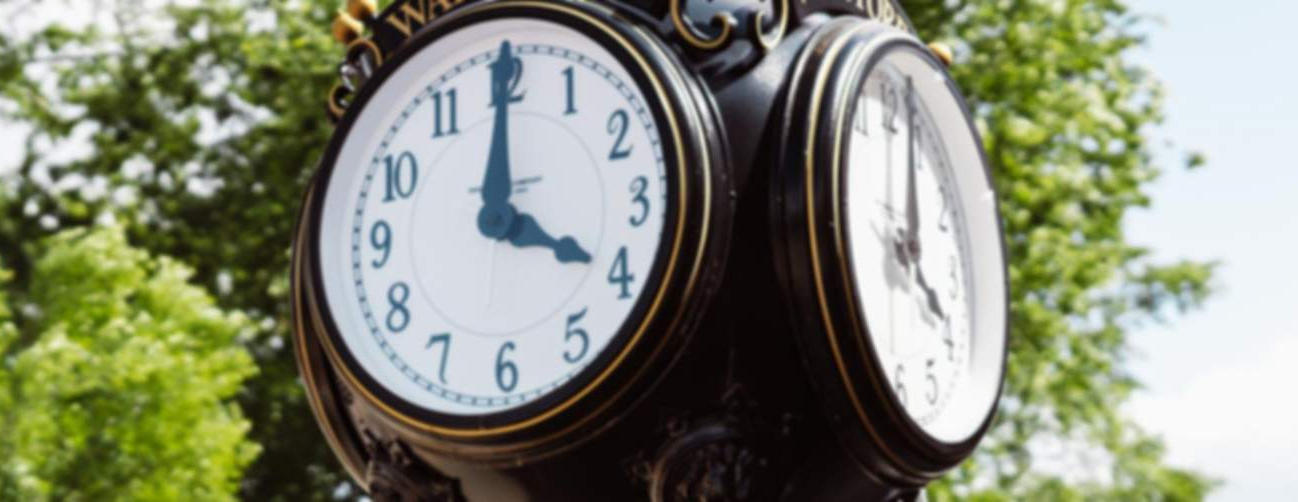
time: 4:00
